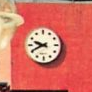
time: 9:41
